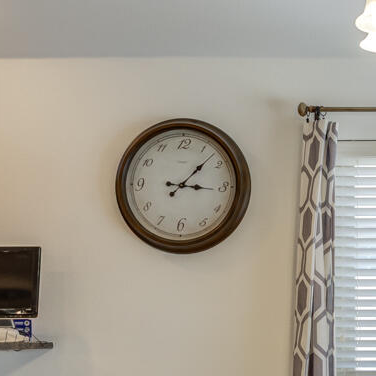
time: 3:07
